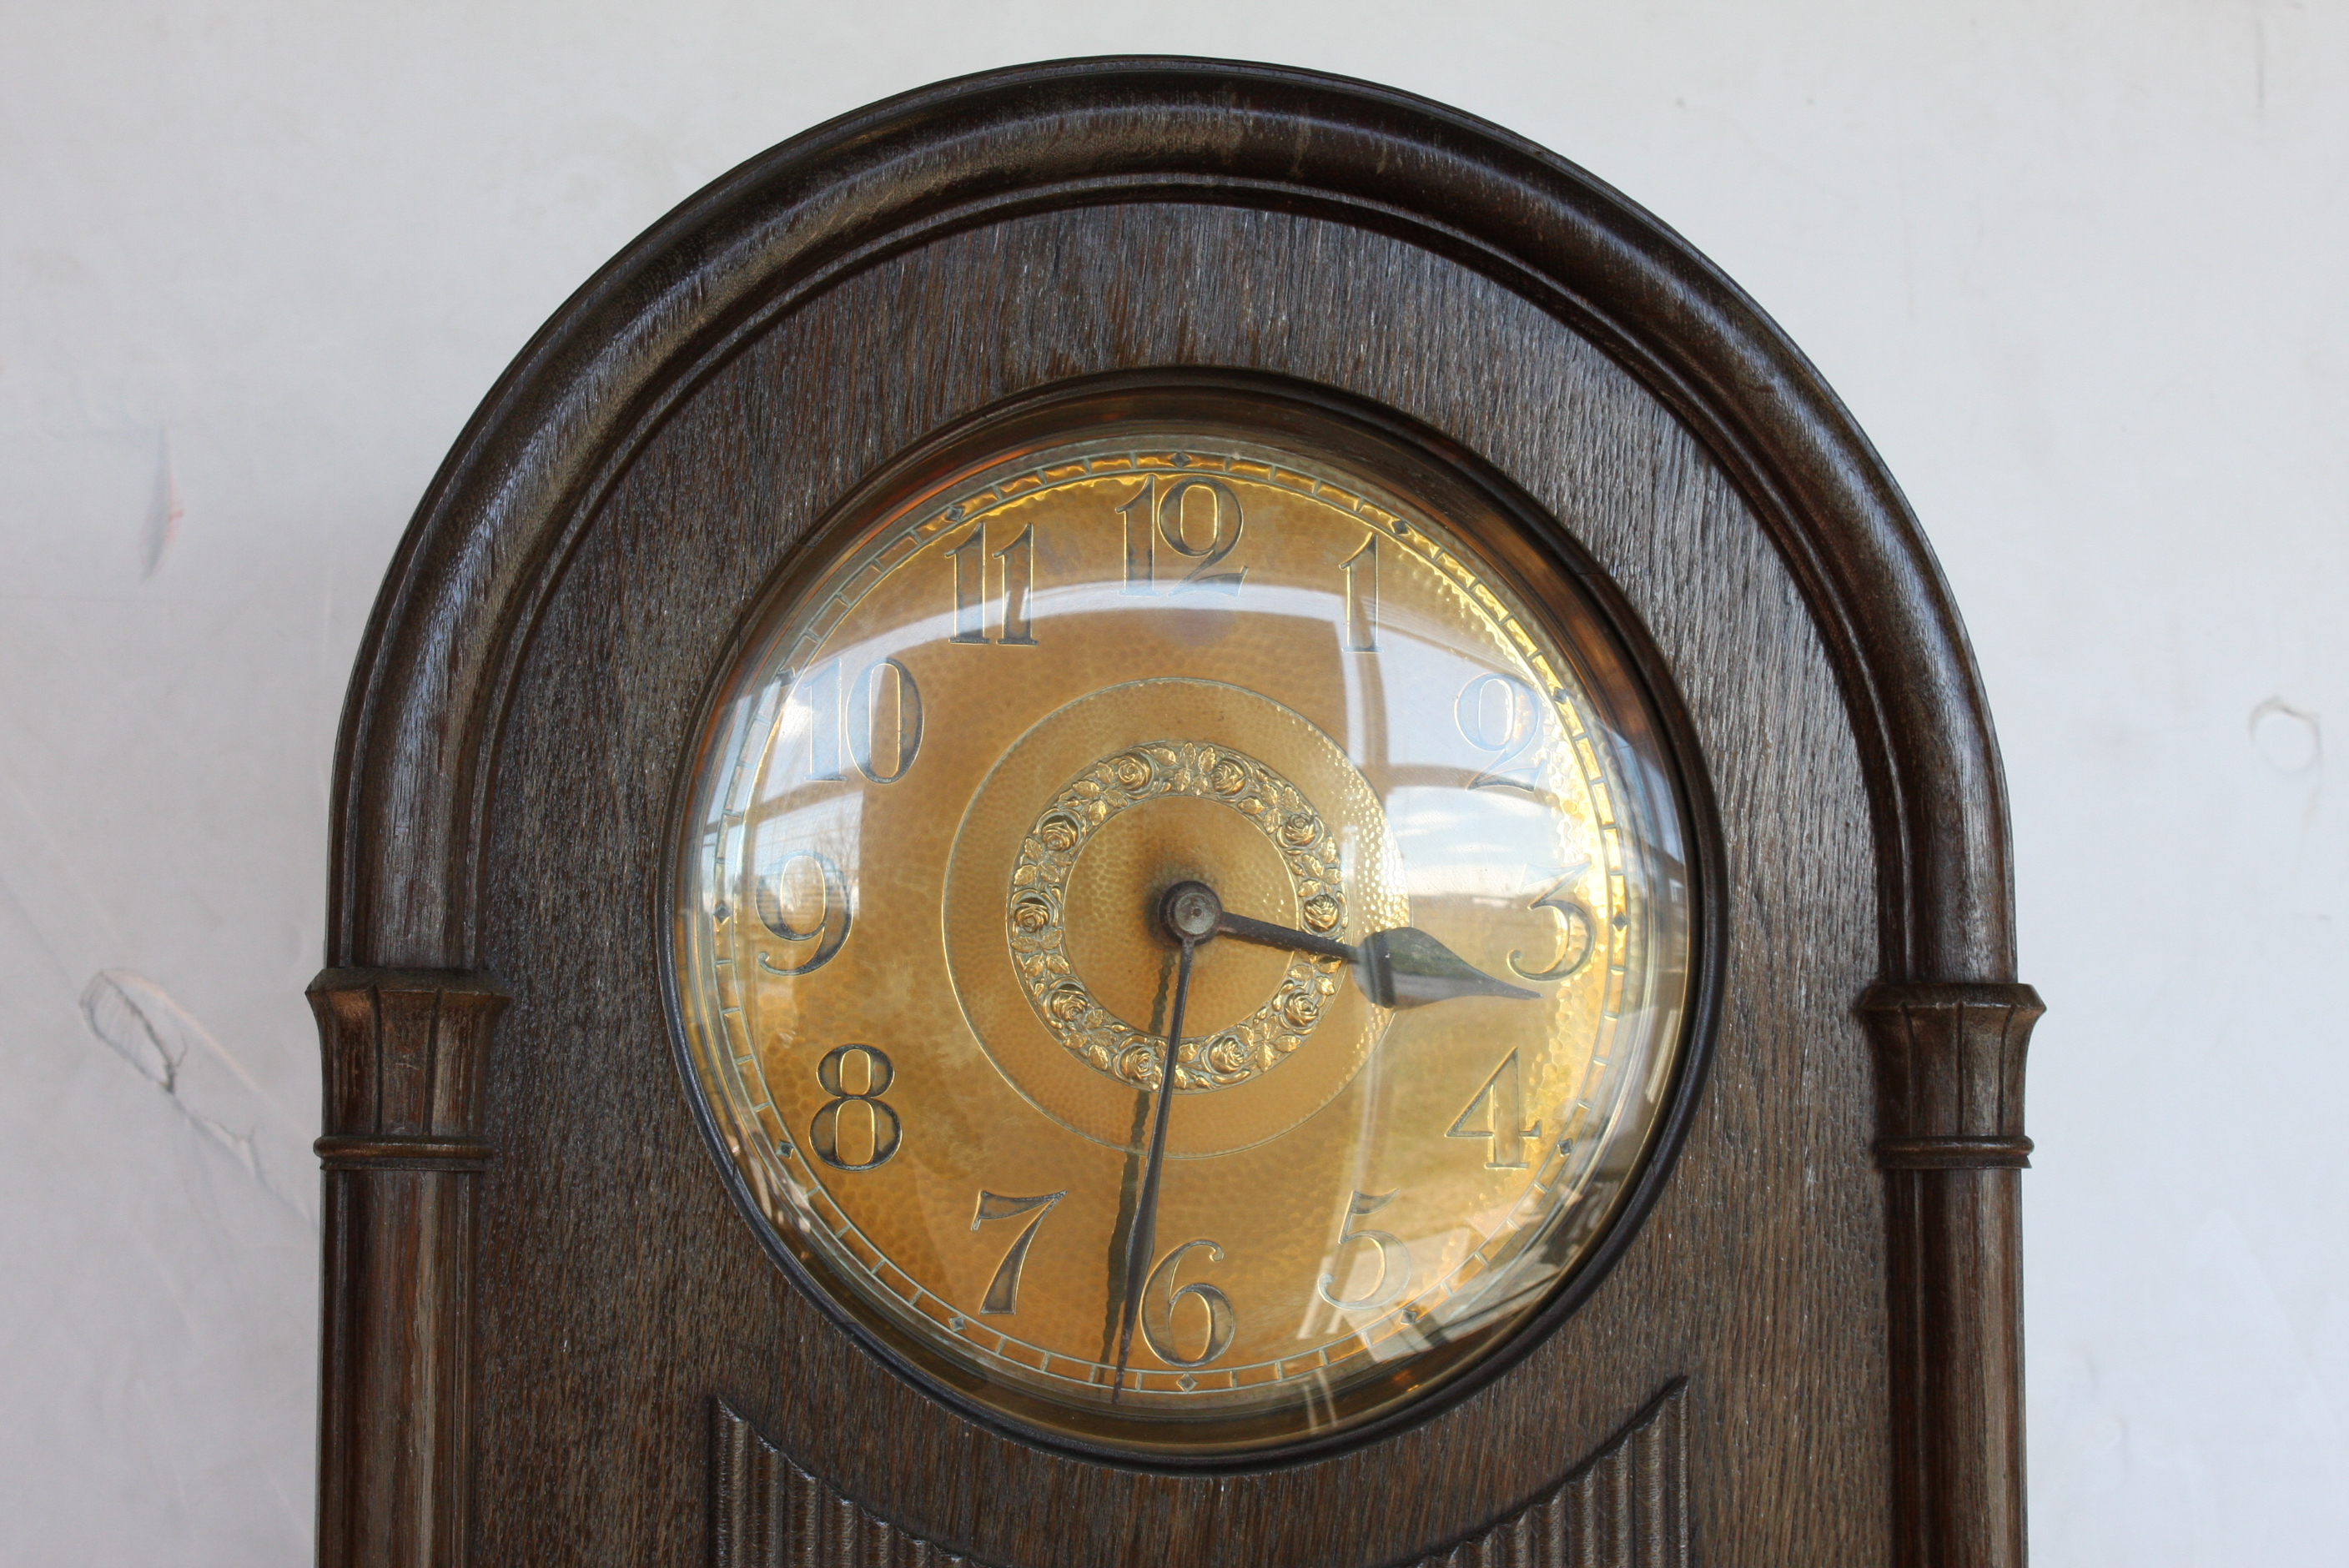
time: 3:31
